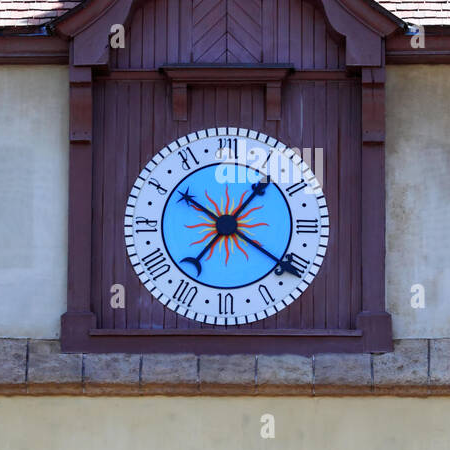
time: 1:20
